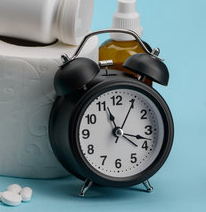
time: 11:17
